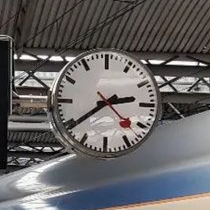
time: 2:39
